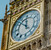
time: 11:51
